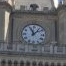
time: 11:07
